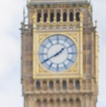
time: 1:40
